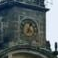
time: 4:03
